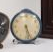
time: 5:26
